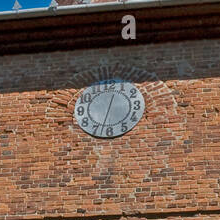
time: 12:32
